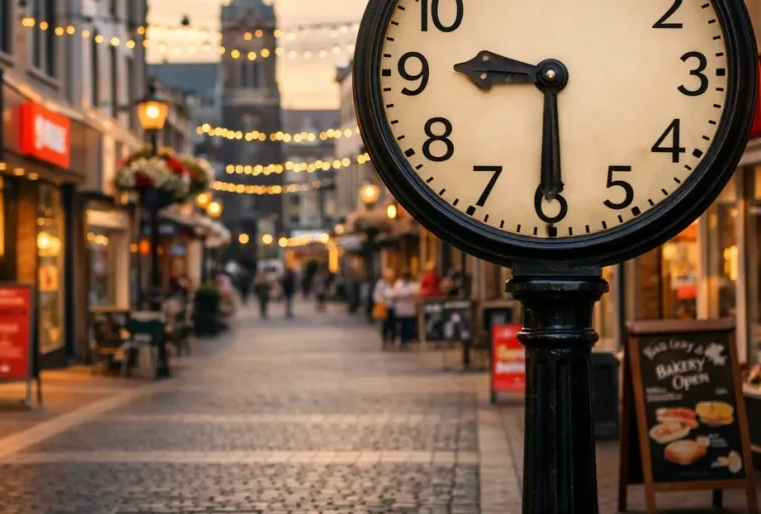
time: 9:30
